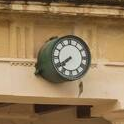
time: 7:40
